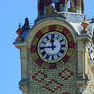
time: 11:44
